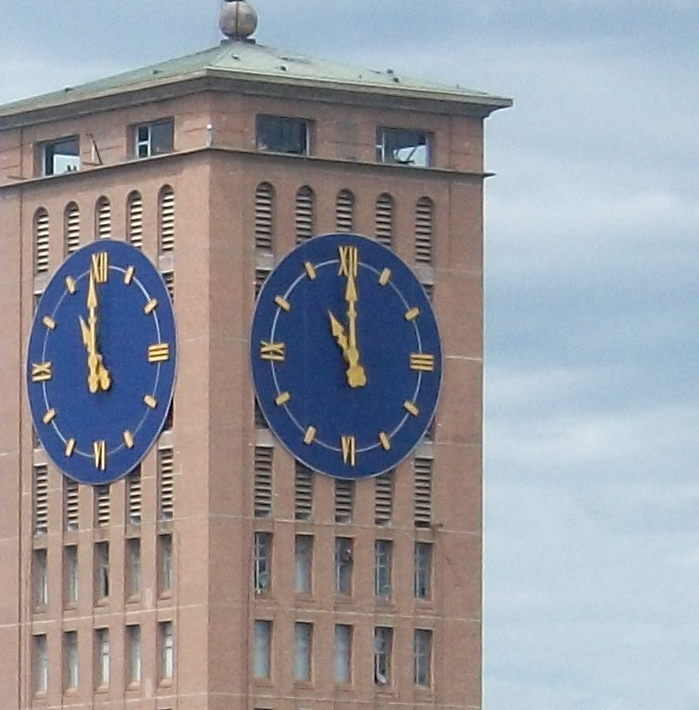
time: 11:00
